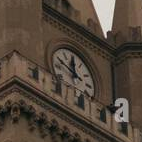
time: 11:49
